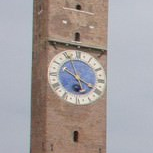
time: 5:19
